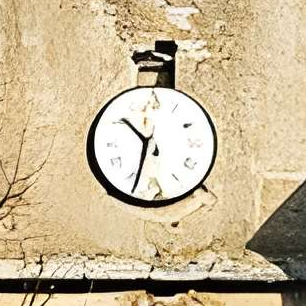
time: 10:33
